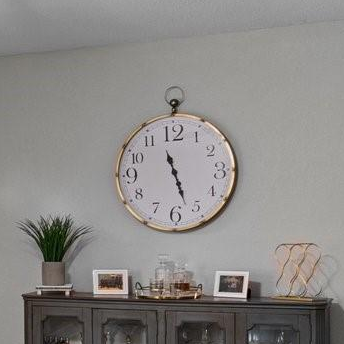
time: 11:27
